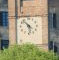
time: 5:51
